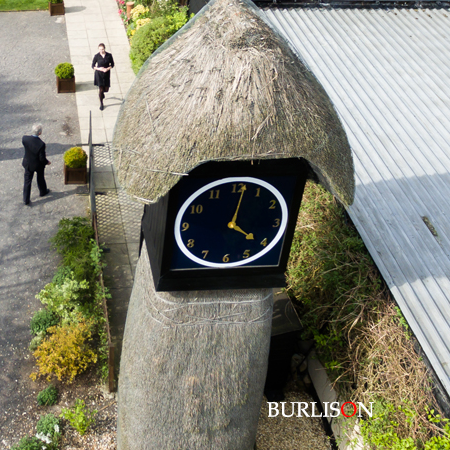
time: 4:01
